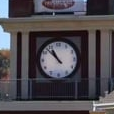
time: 10:52
